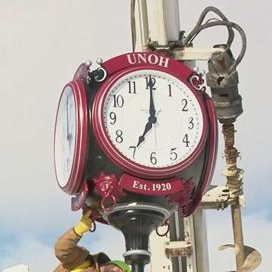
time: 7:00
